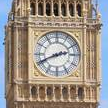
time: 2:41
